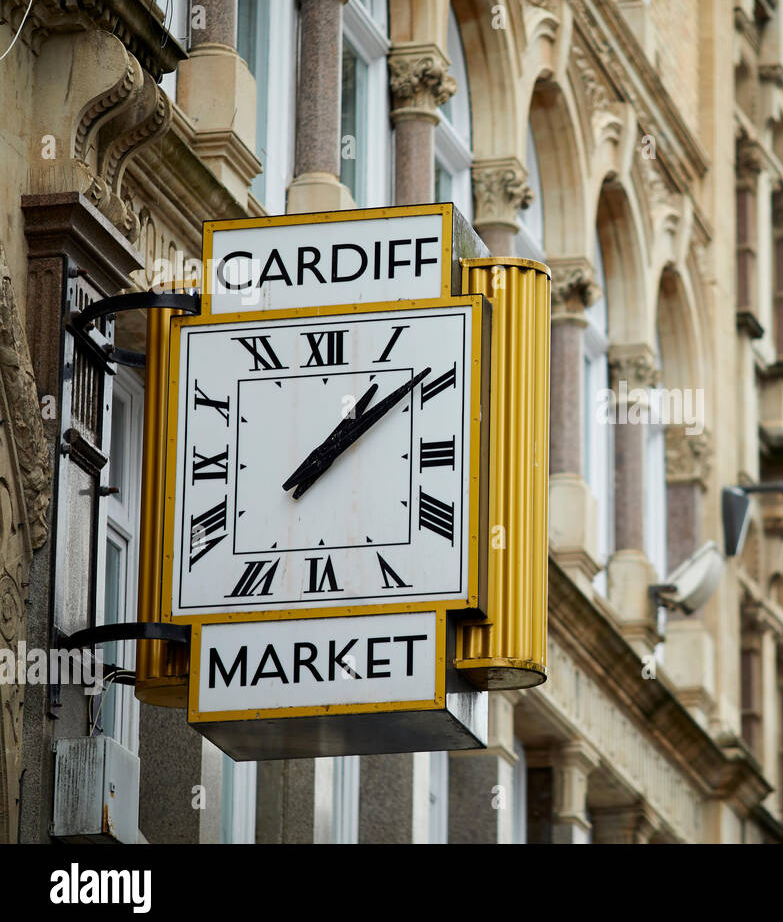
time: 1:08
